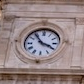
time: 3:53
